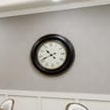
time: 10:41
